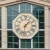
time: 1:32
